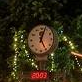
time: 5:03
